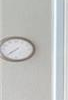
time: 7:37
